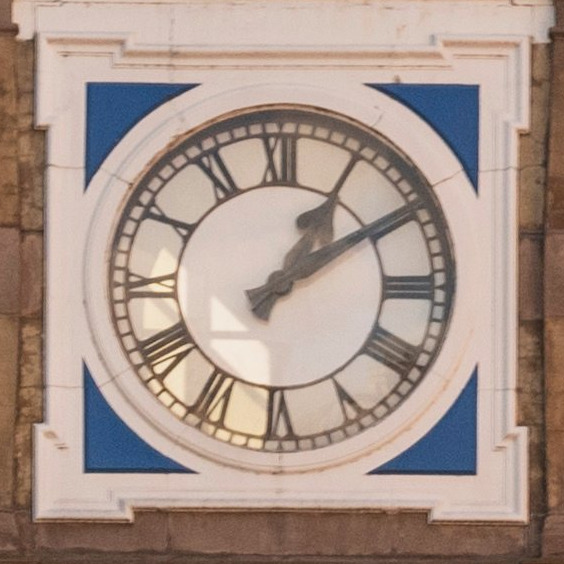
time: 1:09
